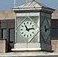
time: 11:13
